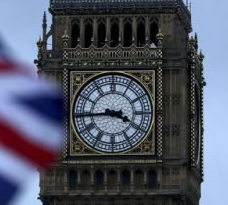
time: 3:44
